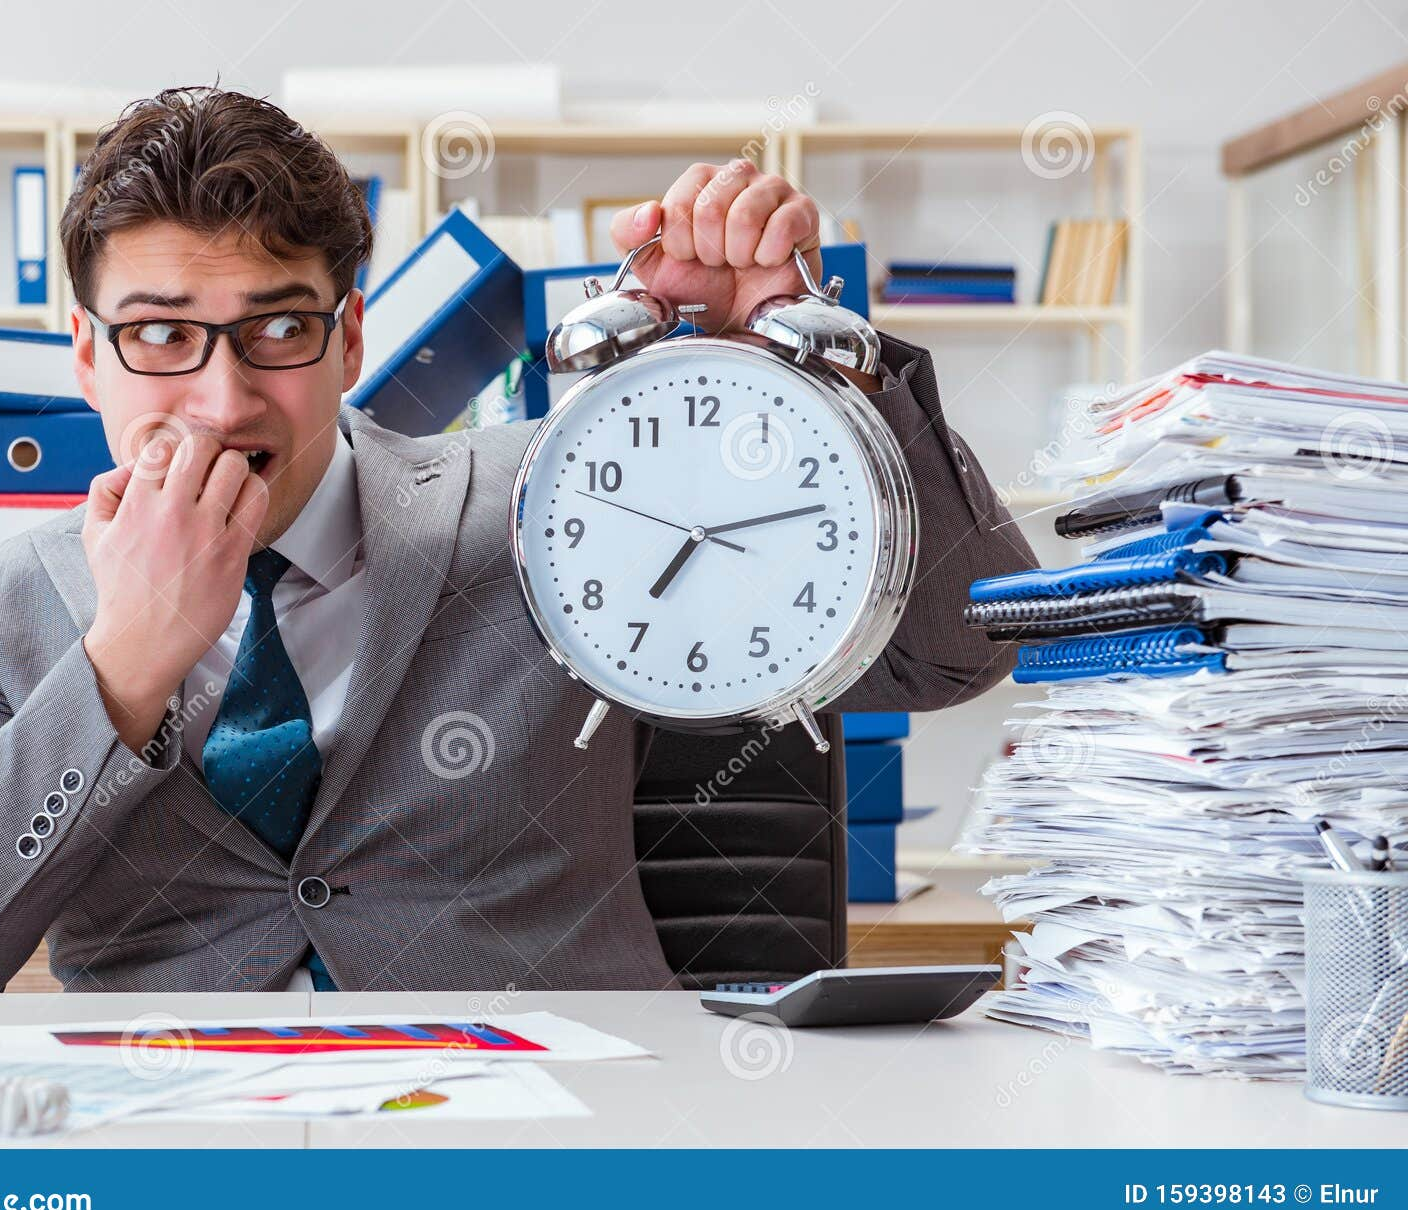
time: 7:13
